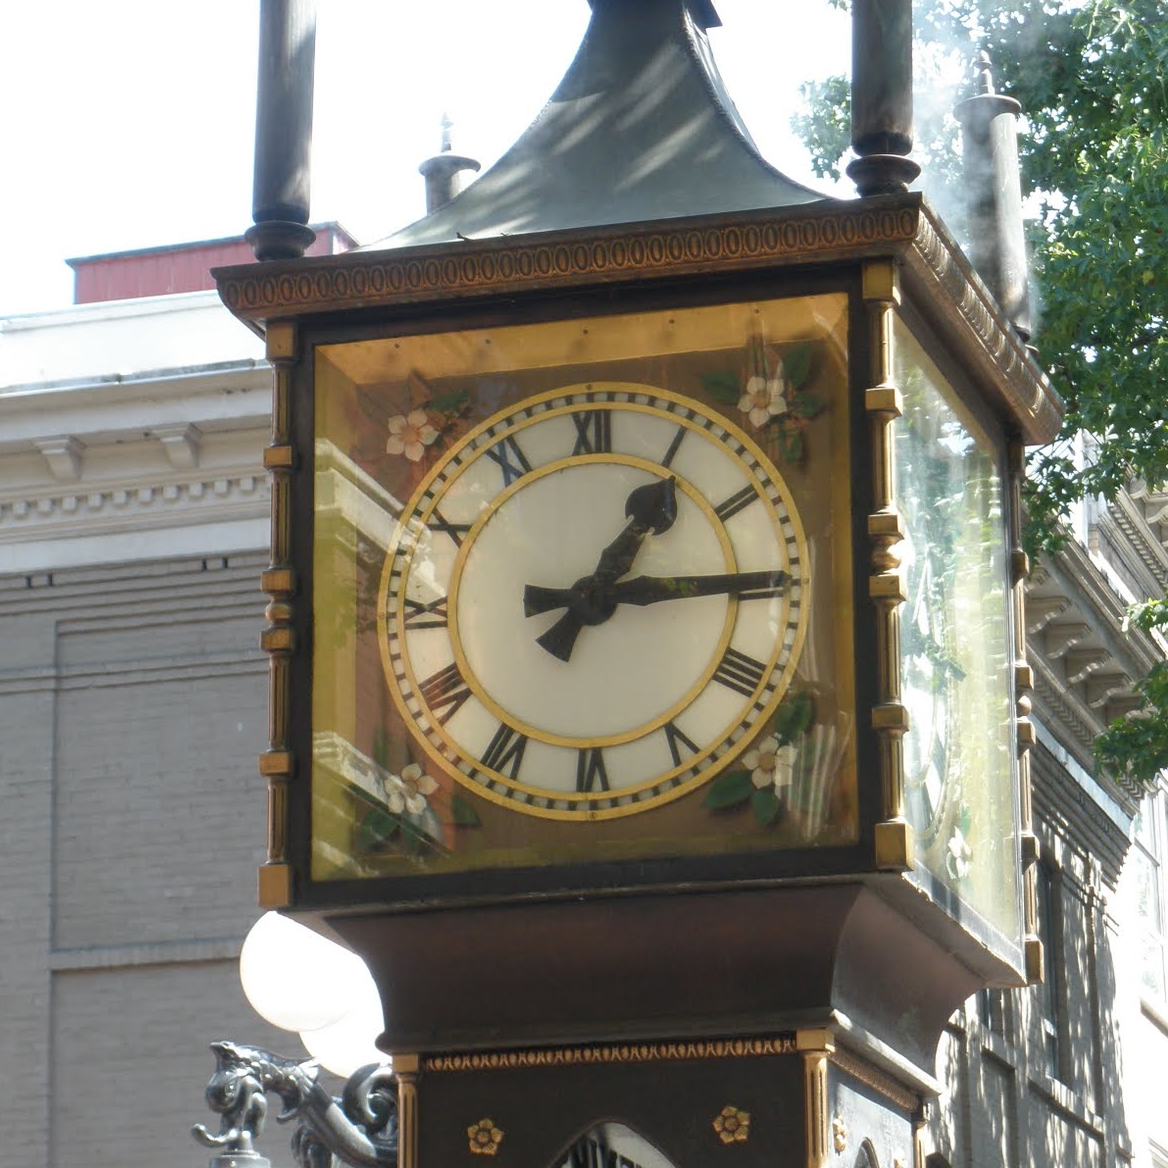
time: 1:14
